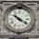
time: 10:20
